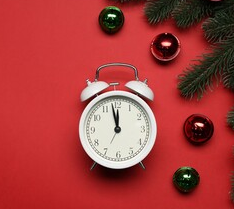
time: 11:58
